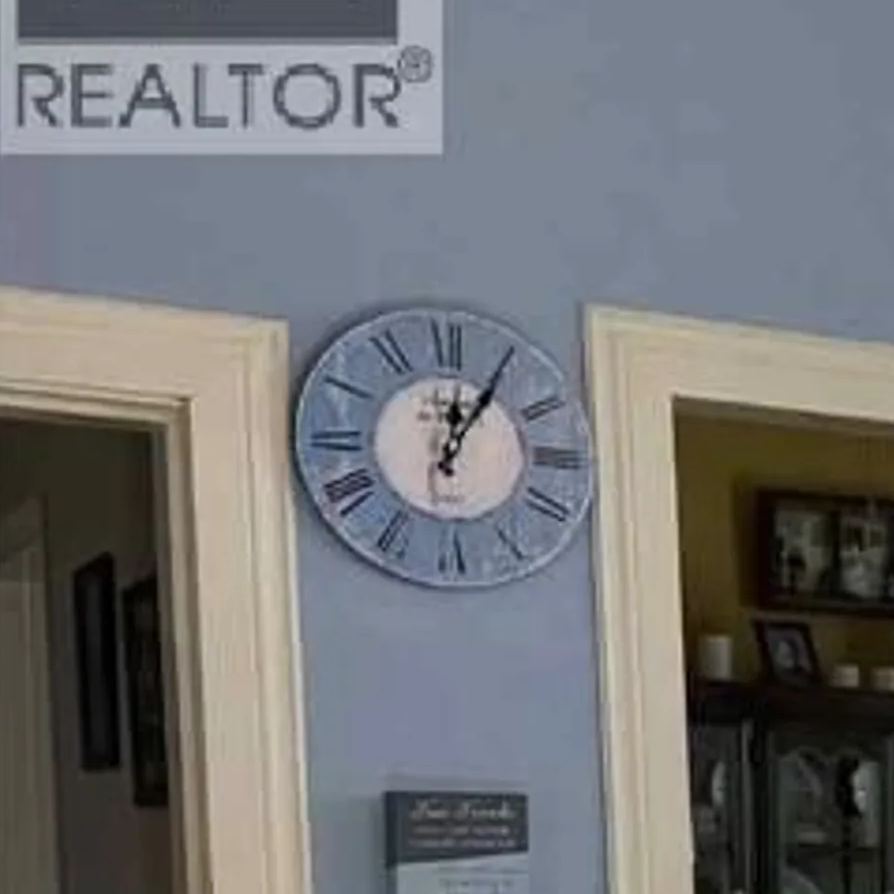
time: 12:05
